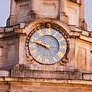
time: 9:47
